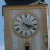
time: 4:17
